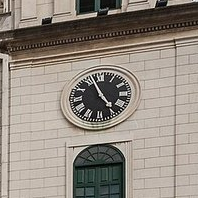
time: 4:56
